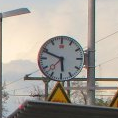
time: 5:48
